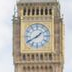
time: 1:40
